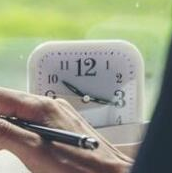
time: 10:16
